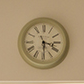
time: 3:29
